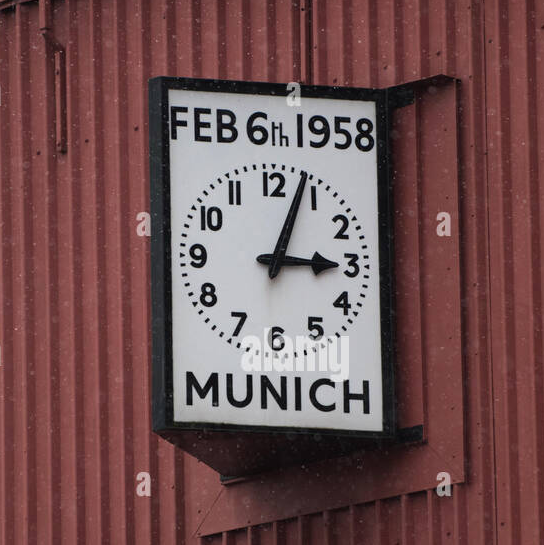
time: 3:04
